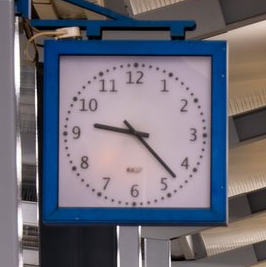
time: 9:22
